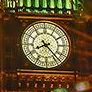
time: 8:23
